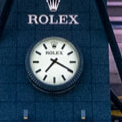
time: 7:19
